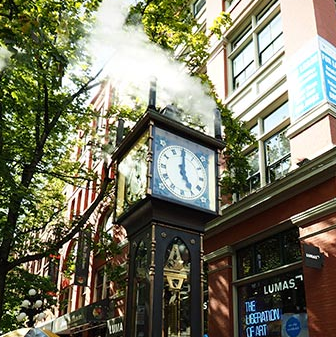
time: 5:00
